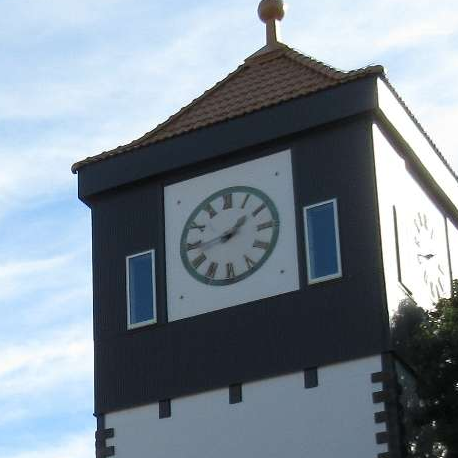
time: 1:43
